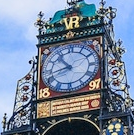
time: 10:42
